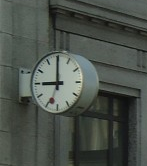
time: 8:59
